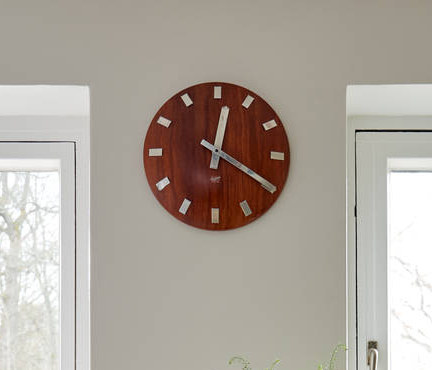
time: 12:19
